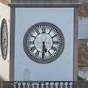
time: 5:30
